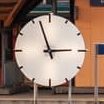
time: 2:56
